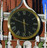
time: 5:48
